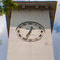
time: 12:33
